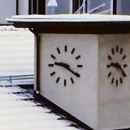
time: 9:20
